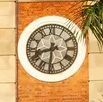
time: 8:31
